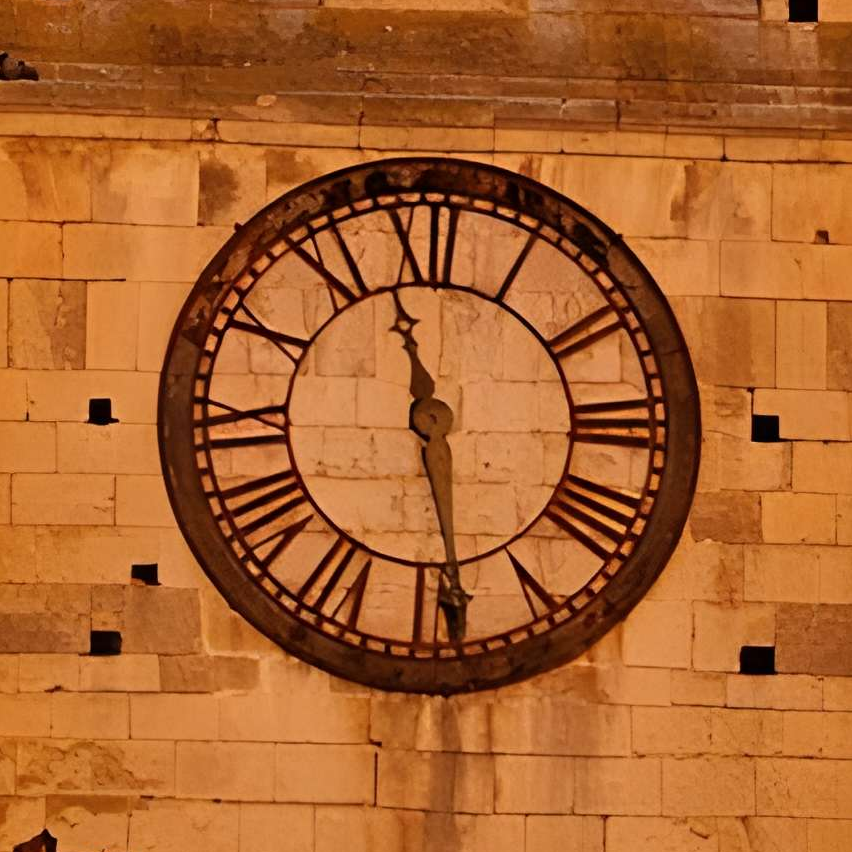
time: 11:28
